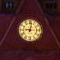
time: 9:01
